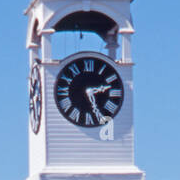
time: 2:26
